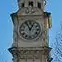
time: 12:55
